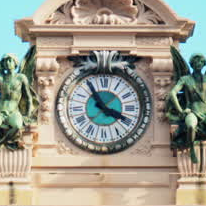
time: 3:55
